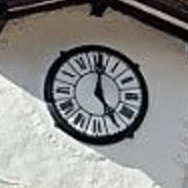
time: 5:00
